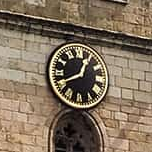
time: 12:40
